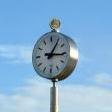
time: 3:05
